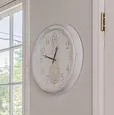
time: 12:47
